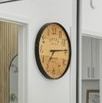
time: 7:14
